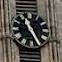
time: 11:24
